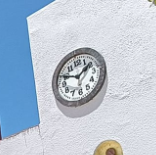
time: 1:49
